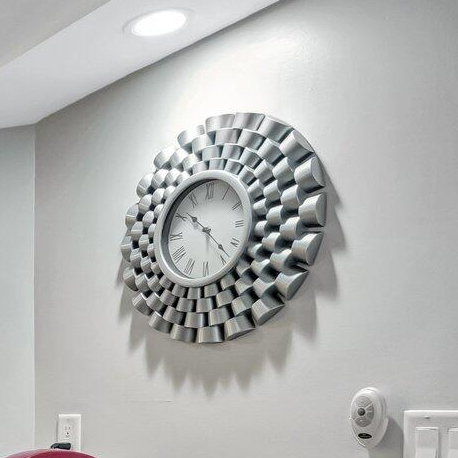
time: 10:22
